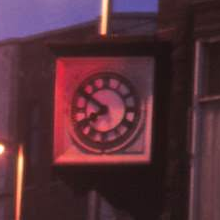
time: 7:50
